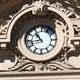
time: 10:43
